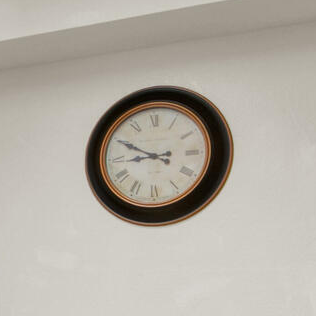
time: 8:49
